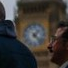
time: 1:22
